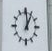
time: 1:00
